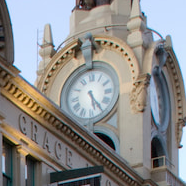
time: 5:24
